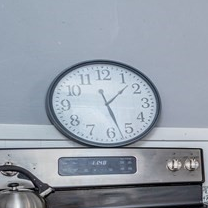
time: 1:27
